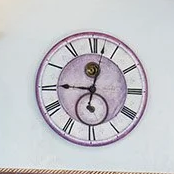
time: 9:02
